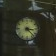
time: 3:22
